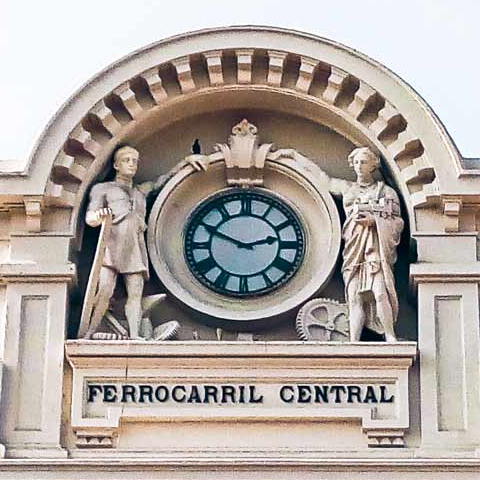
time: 2:48
